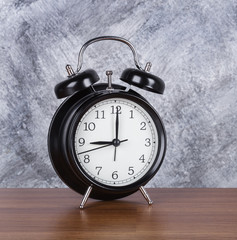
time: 9:00
